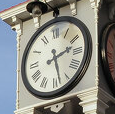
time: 2:27
